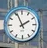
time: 1:56
